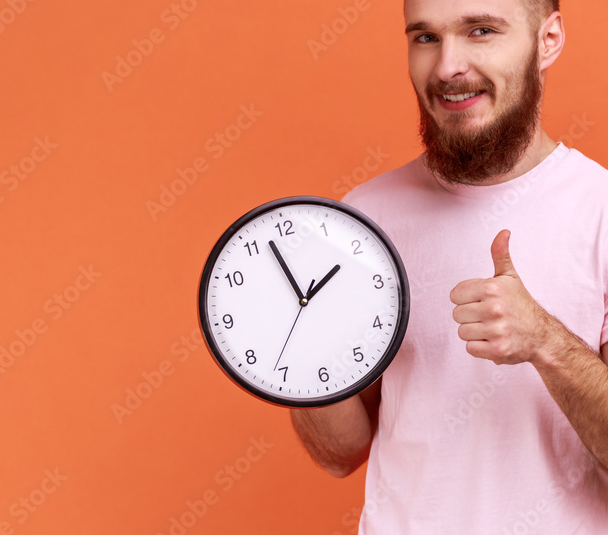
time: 1:57
